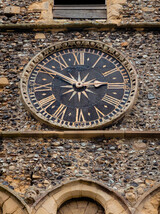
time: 2:50
